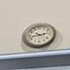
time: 2:42
